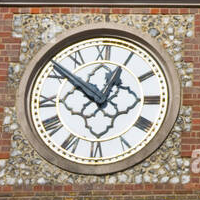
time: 12:51
